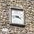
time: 3:43
